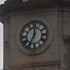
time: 7:00
